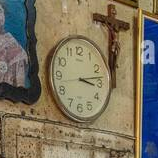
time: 3:13
